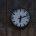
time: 6:12
